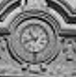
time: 10:41
